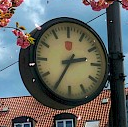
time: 2:35
